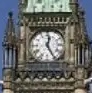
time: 12:24
